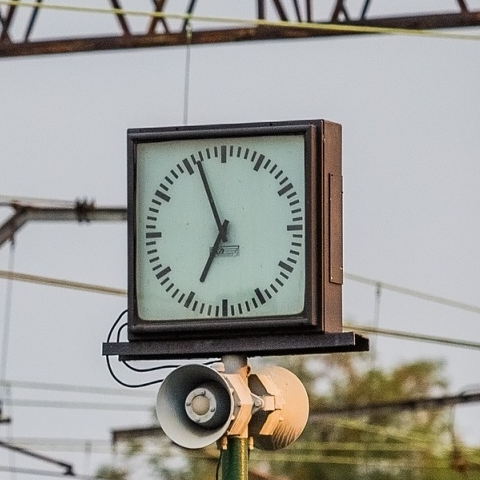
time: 6:56
